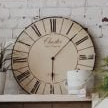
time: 6:07
